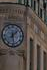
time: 1:28
